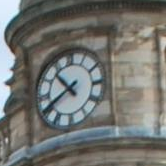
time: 10:40
